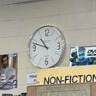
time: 10:48
